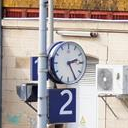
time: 2:24
